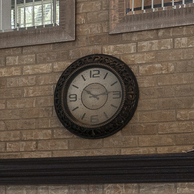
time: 10:13
